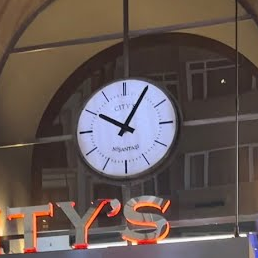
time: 10:05
